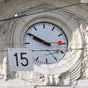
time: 9:50
